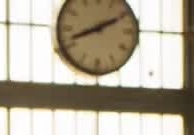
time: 8:10
